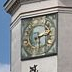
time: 2:29
